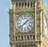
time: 1:38
